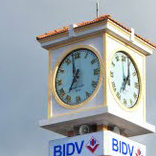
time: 11:35
